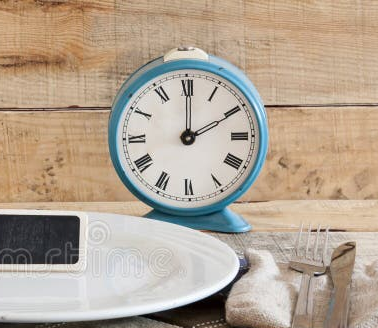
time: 2:00
